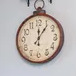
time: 12:06
